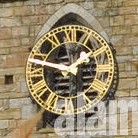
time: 1:47
